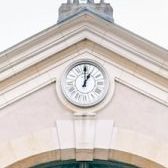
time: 1:00
